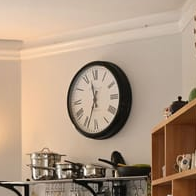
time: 11:33
